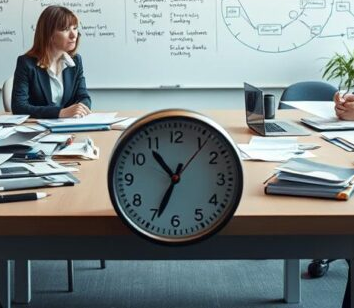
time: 10:34
